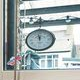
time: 11:57
